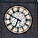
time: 6:49
